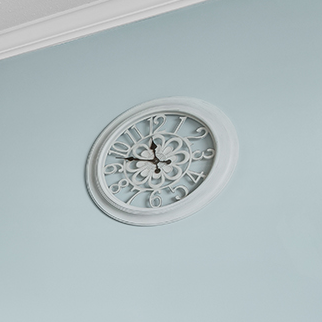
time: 11:48
